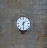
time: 1:29
